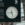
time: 8:27
